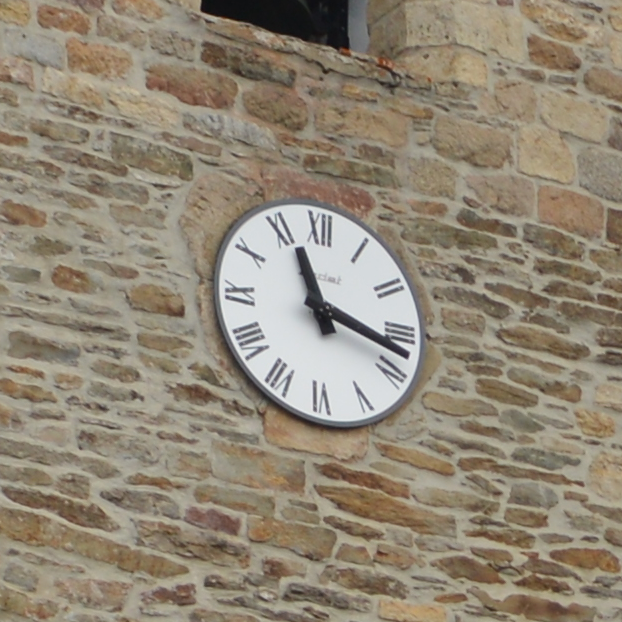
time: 11:17
